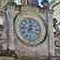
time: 12:16
